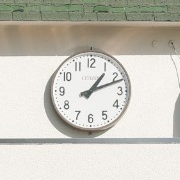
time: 1:11
